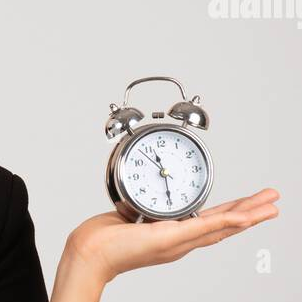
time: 11:29
